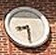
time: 8:29
